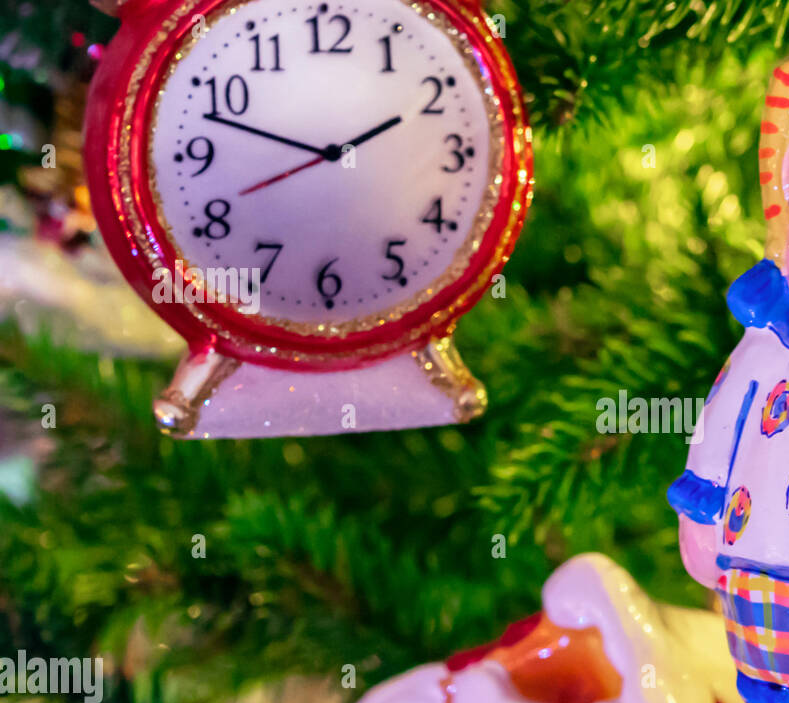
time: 1:47
